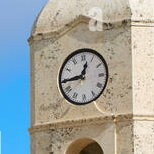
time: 12:44
